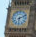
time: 6:10
